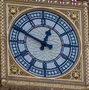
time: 12:49
